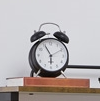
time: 5:55
